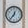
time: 12:36
